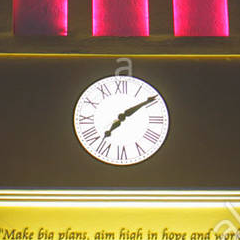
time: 7:09
